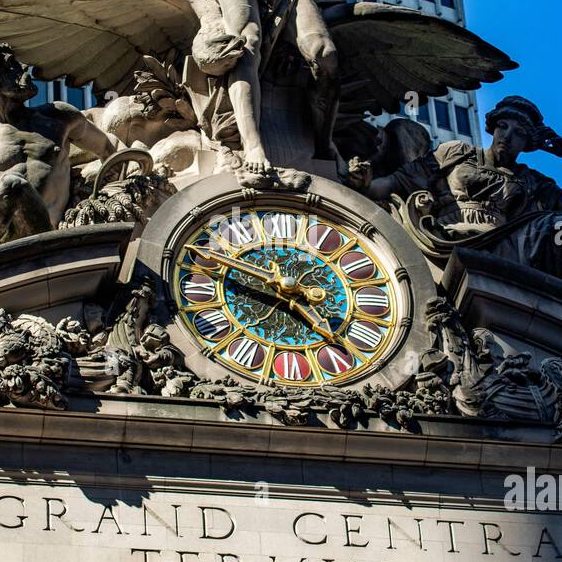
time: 3:47
